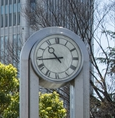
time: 10:43
